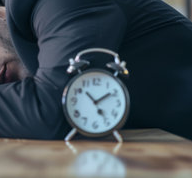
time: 1:52
